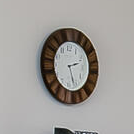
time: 2:27
